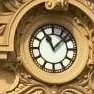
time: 11:07
